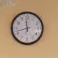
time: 11:42
